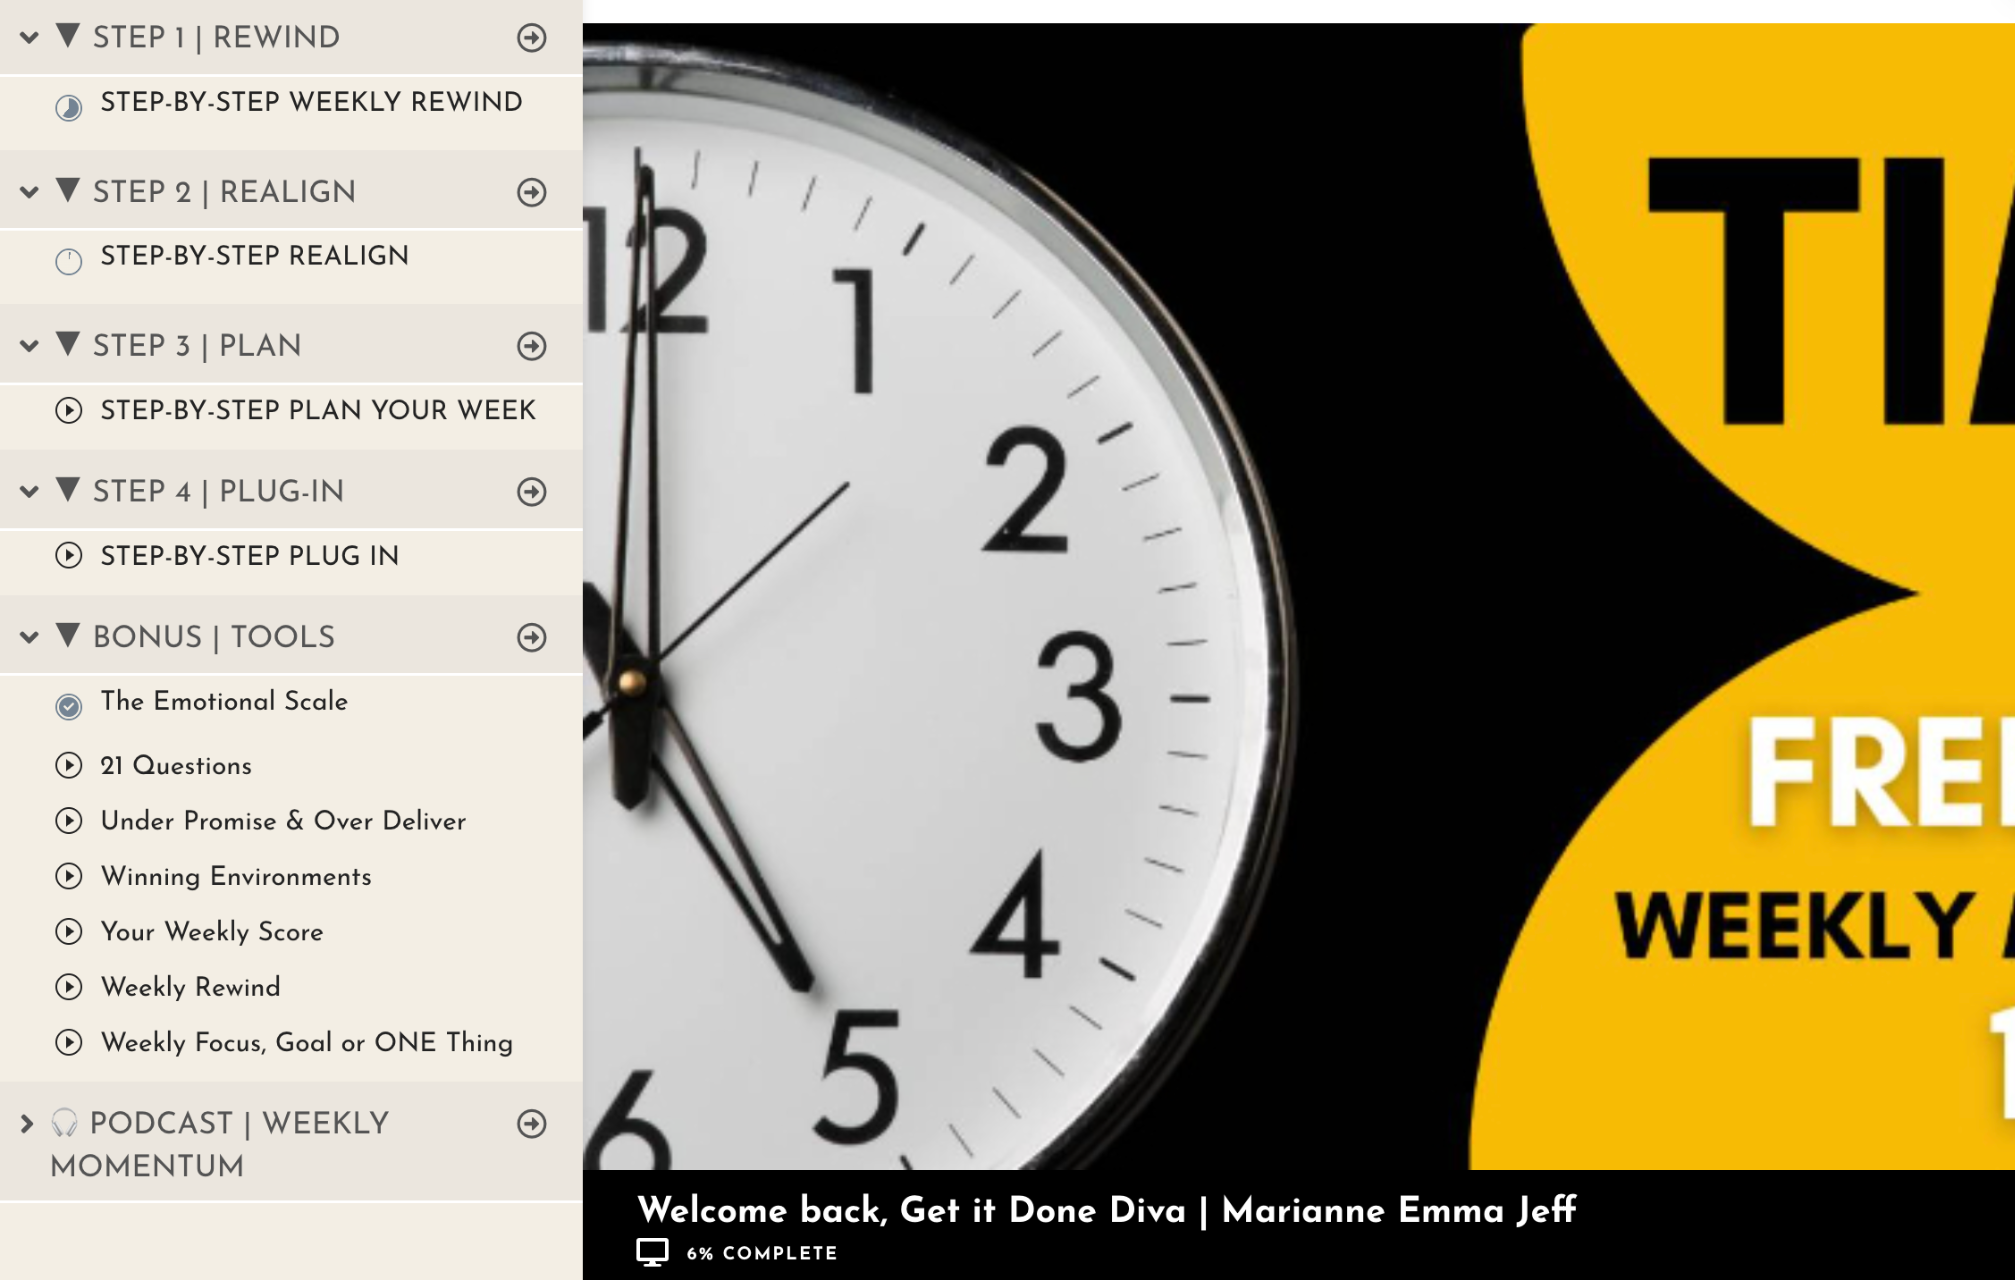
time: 5:00
